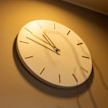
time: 10:48
